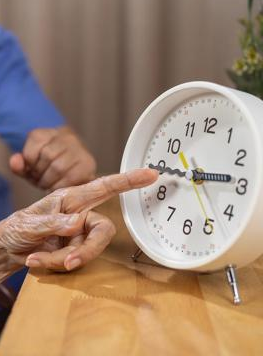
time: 2:44
